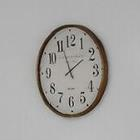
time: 1:56
